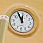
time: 11:55
